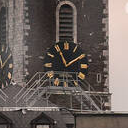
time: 1:56
